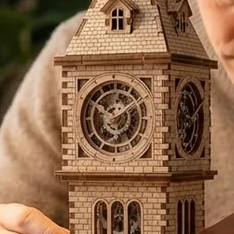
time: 10:09
